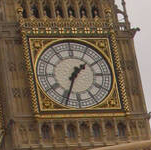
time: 1:33
